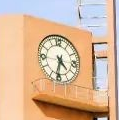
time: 4:31
